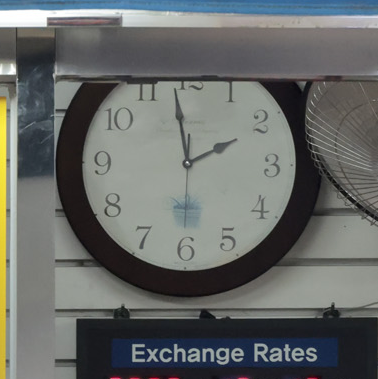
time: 1:58
